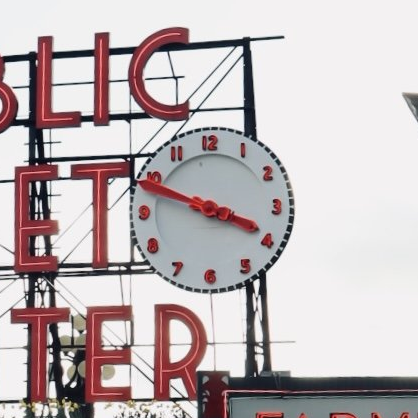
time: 3:48
